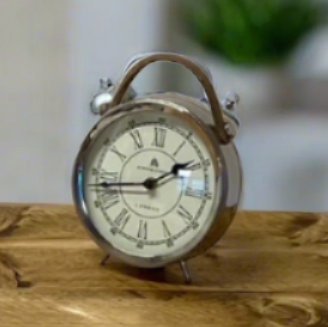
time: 1:43
